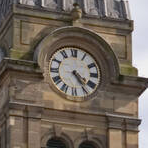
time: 4:23
